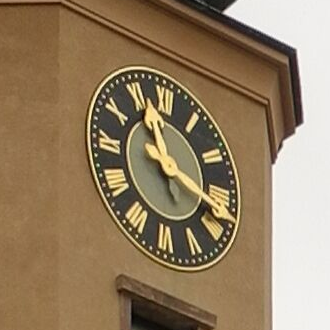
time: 11:17
